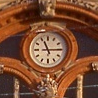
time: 11:14
